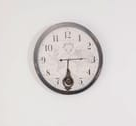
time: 6:14
